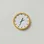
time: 12:34
